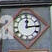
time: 12:14
